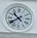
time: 10:39
